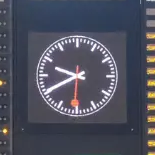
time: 9:40
